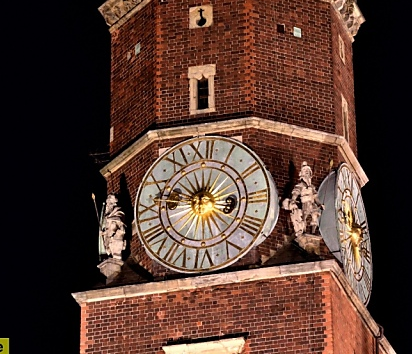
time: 11:46
